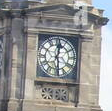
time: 12:28
